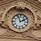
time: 1:56
